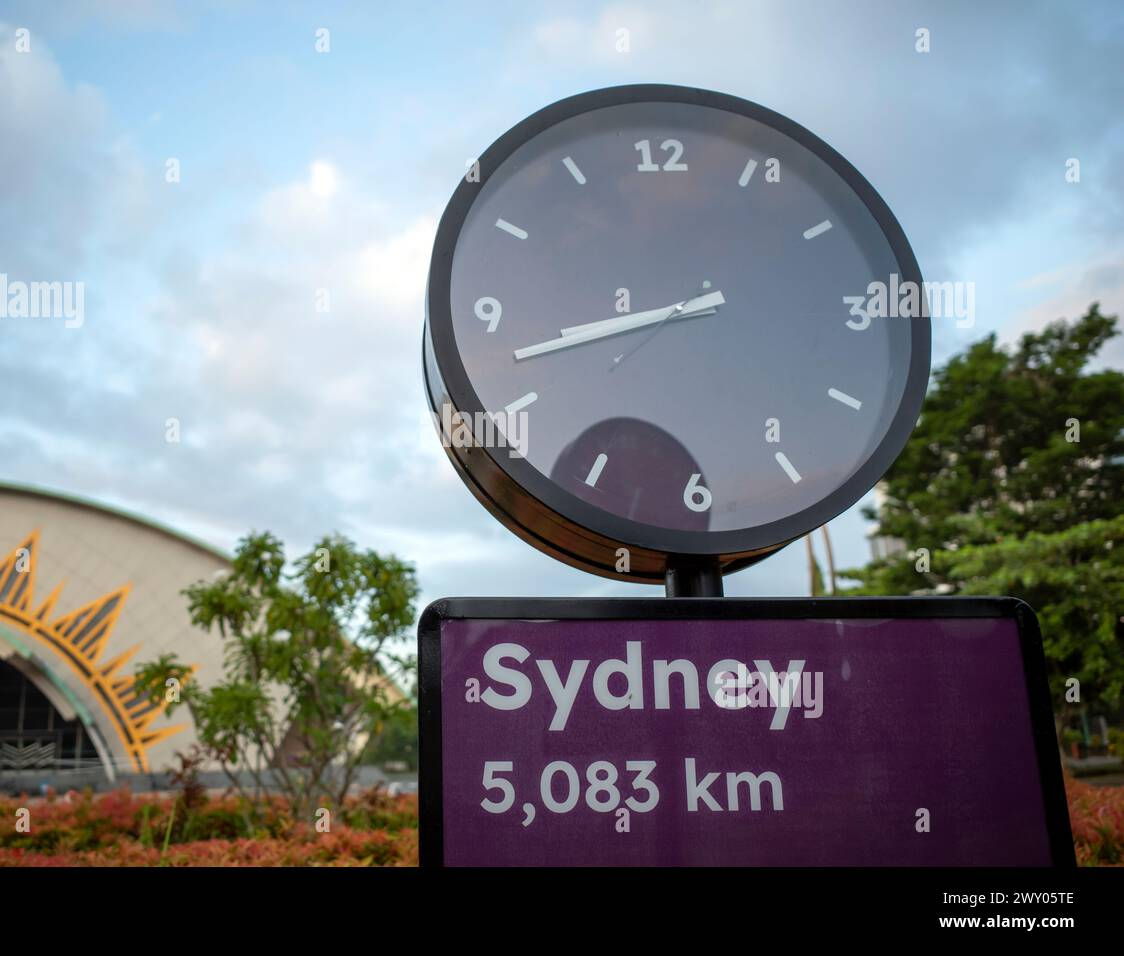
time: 8:42
